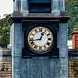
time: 12:42
